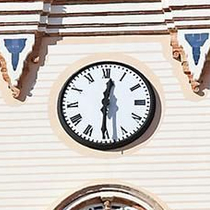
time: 12:30
